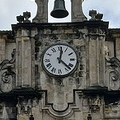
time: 12:22
